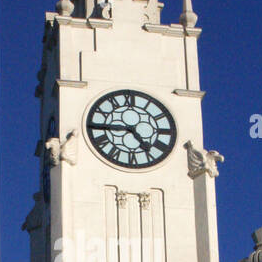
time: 4:44
